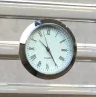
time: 10:24
